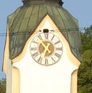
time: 10:34
